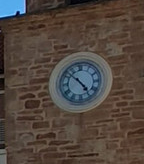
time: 4:52
